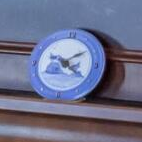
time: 4:09
